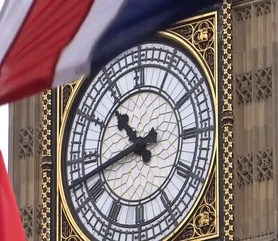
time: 10:42
